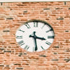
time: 3:28
